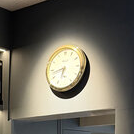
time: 6:43
